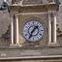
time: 1:35
